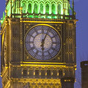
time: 6:03
